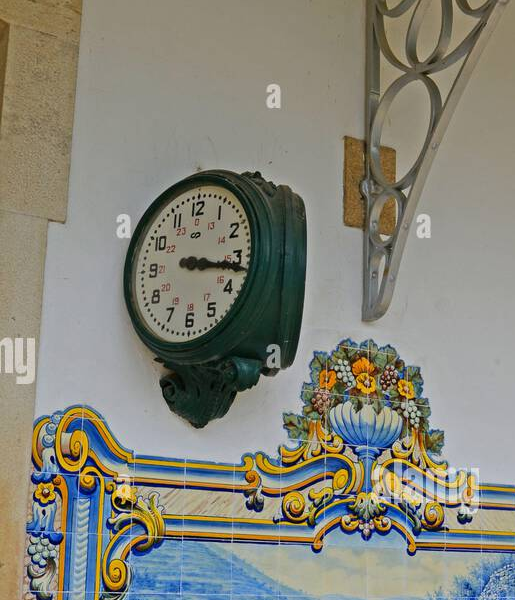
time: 3:16
